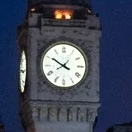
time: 7:50
